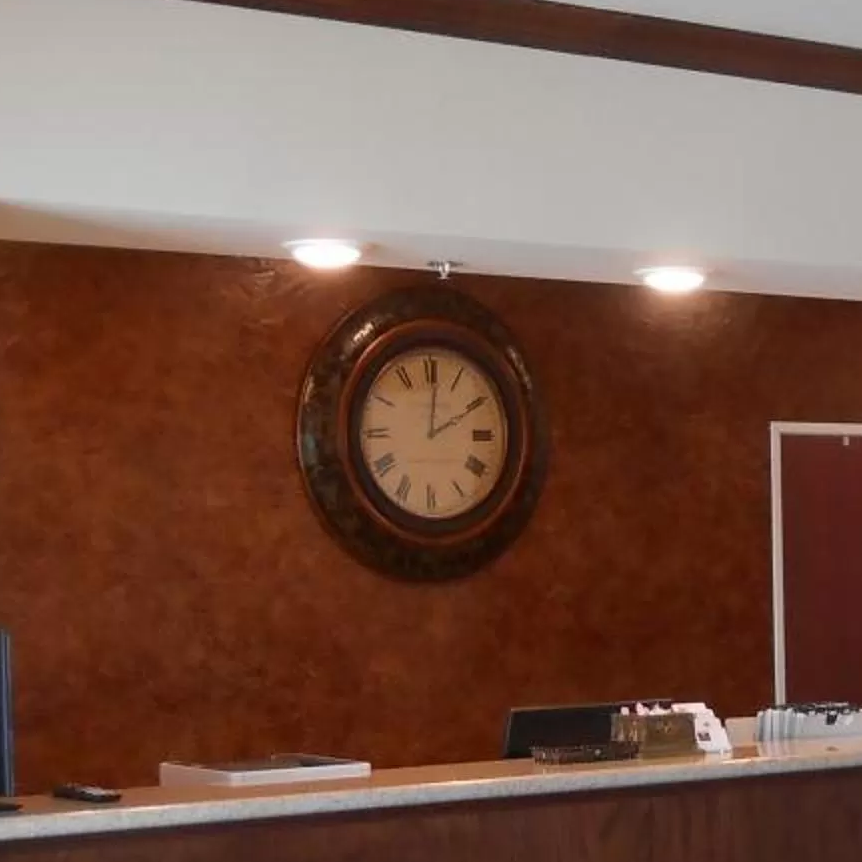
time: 2:01
